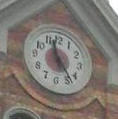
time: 11:23
